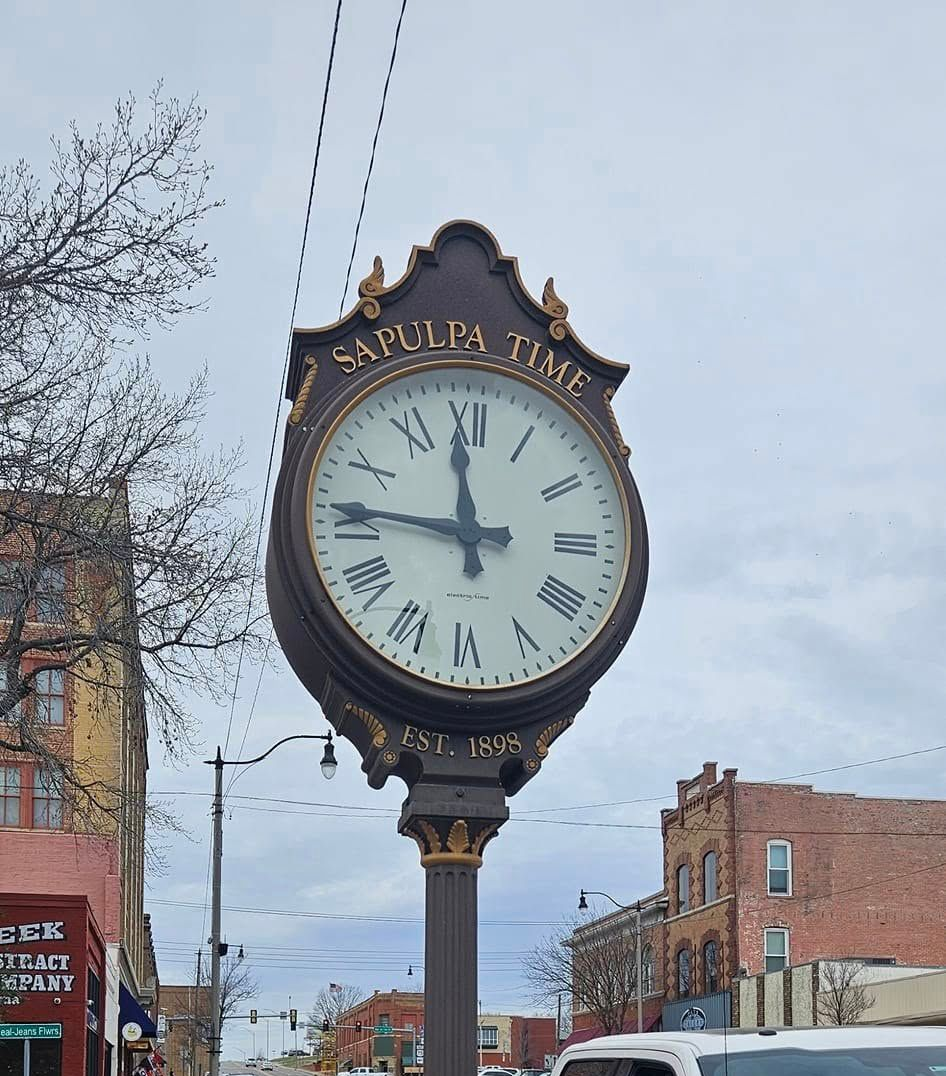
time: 11:45
